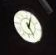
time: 5:03
